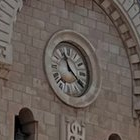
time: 11:21
